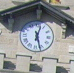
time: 12:27
